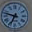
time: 6:47
